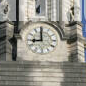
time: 8:59
